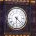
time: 6:21
